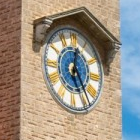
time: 12:23
